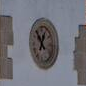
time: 12:52
